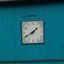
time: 1:40
